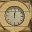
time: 12:01
